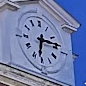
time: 6:13
